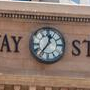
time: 12:36
